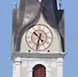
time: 10:32
